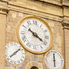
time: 3:50
